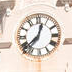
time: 12:37
